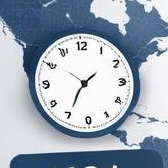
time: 1:34
